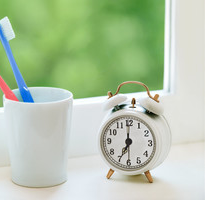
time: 7:00
